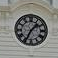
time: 1:34
